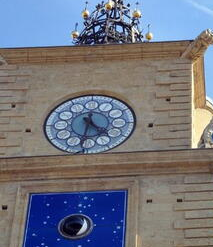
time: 4:31
